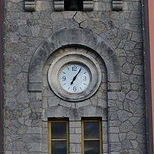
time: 7:05
